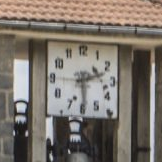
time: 2:29
